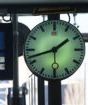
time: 1:42
